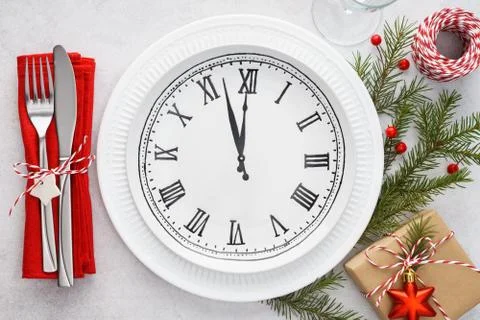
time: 11:56
